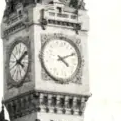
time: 4:10
